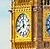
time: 11:40
